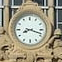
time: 8:18
